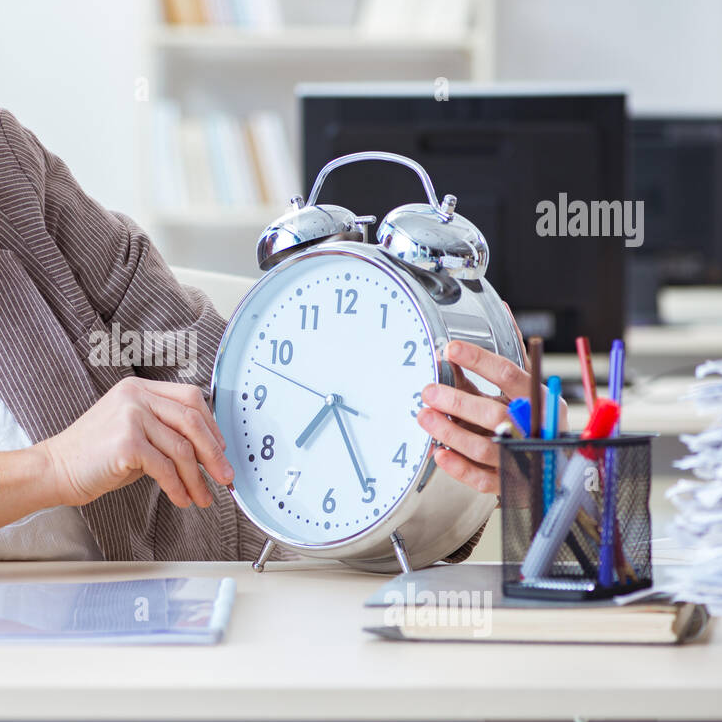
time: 7:25
